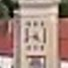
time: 4:42
